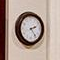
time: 2:23
